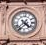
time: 4:36
